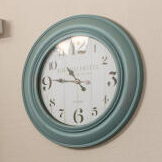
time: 10:46
